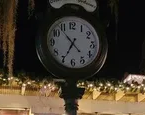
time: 4:34
